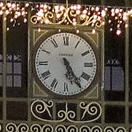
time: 5:24
